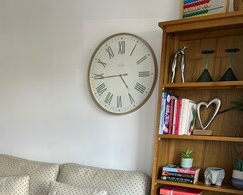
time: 4:44
